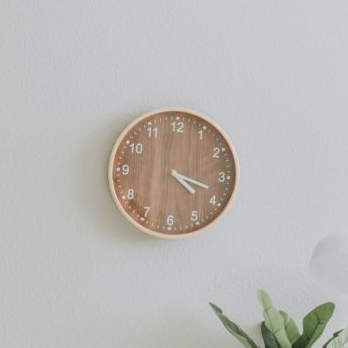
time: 4:18
